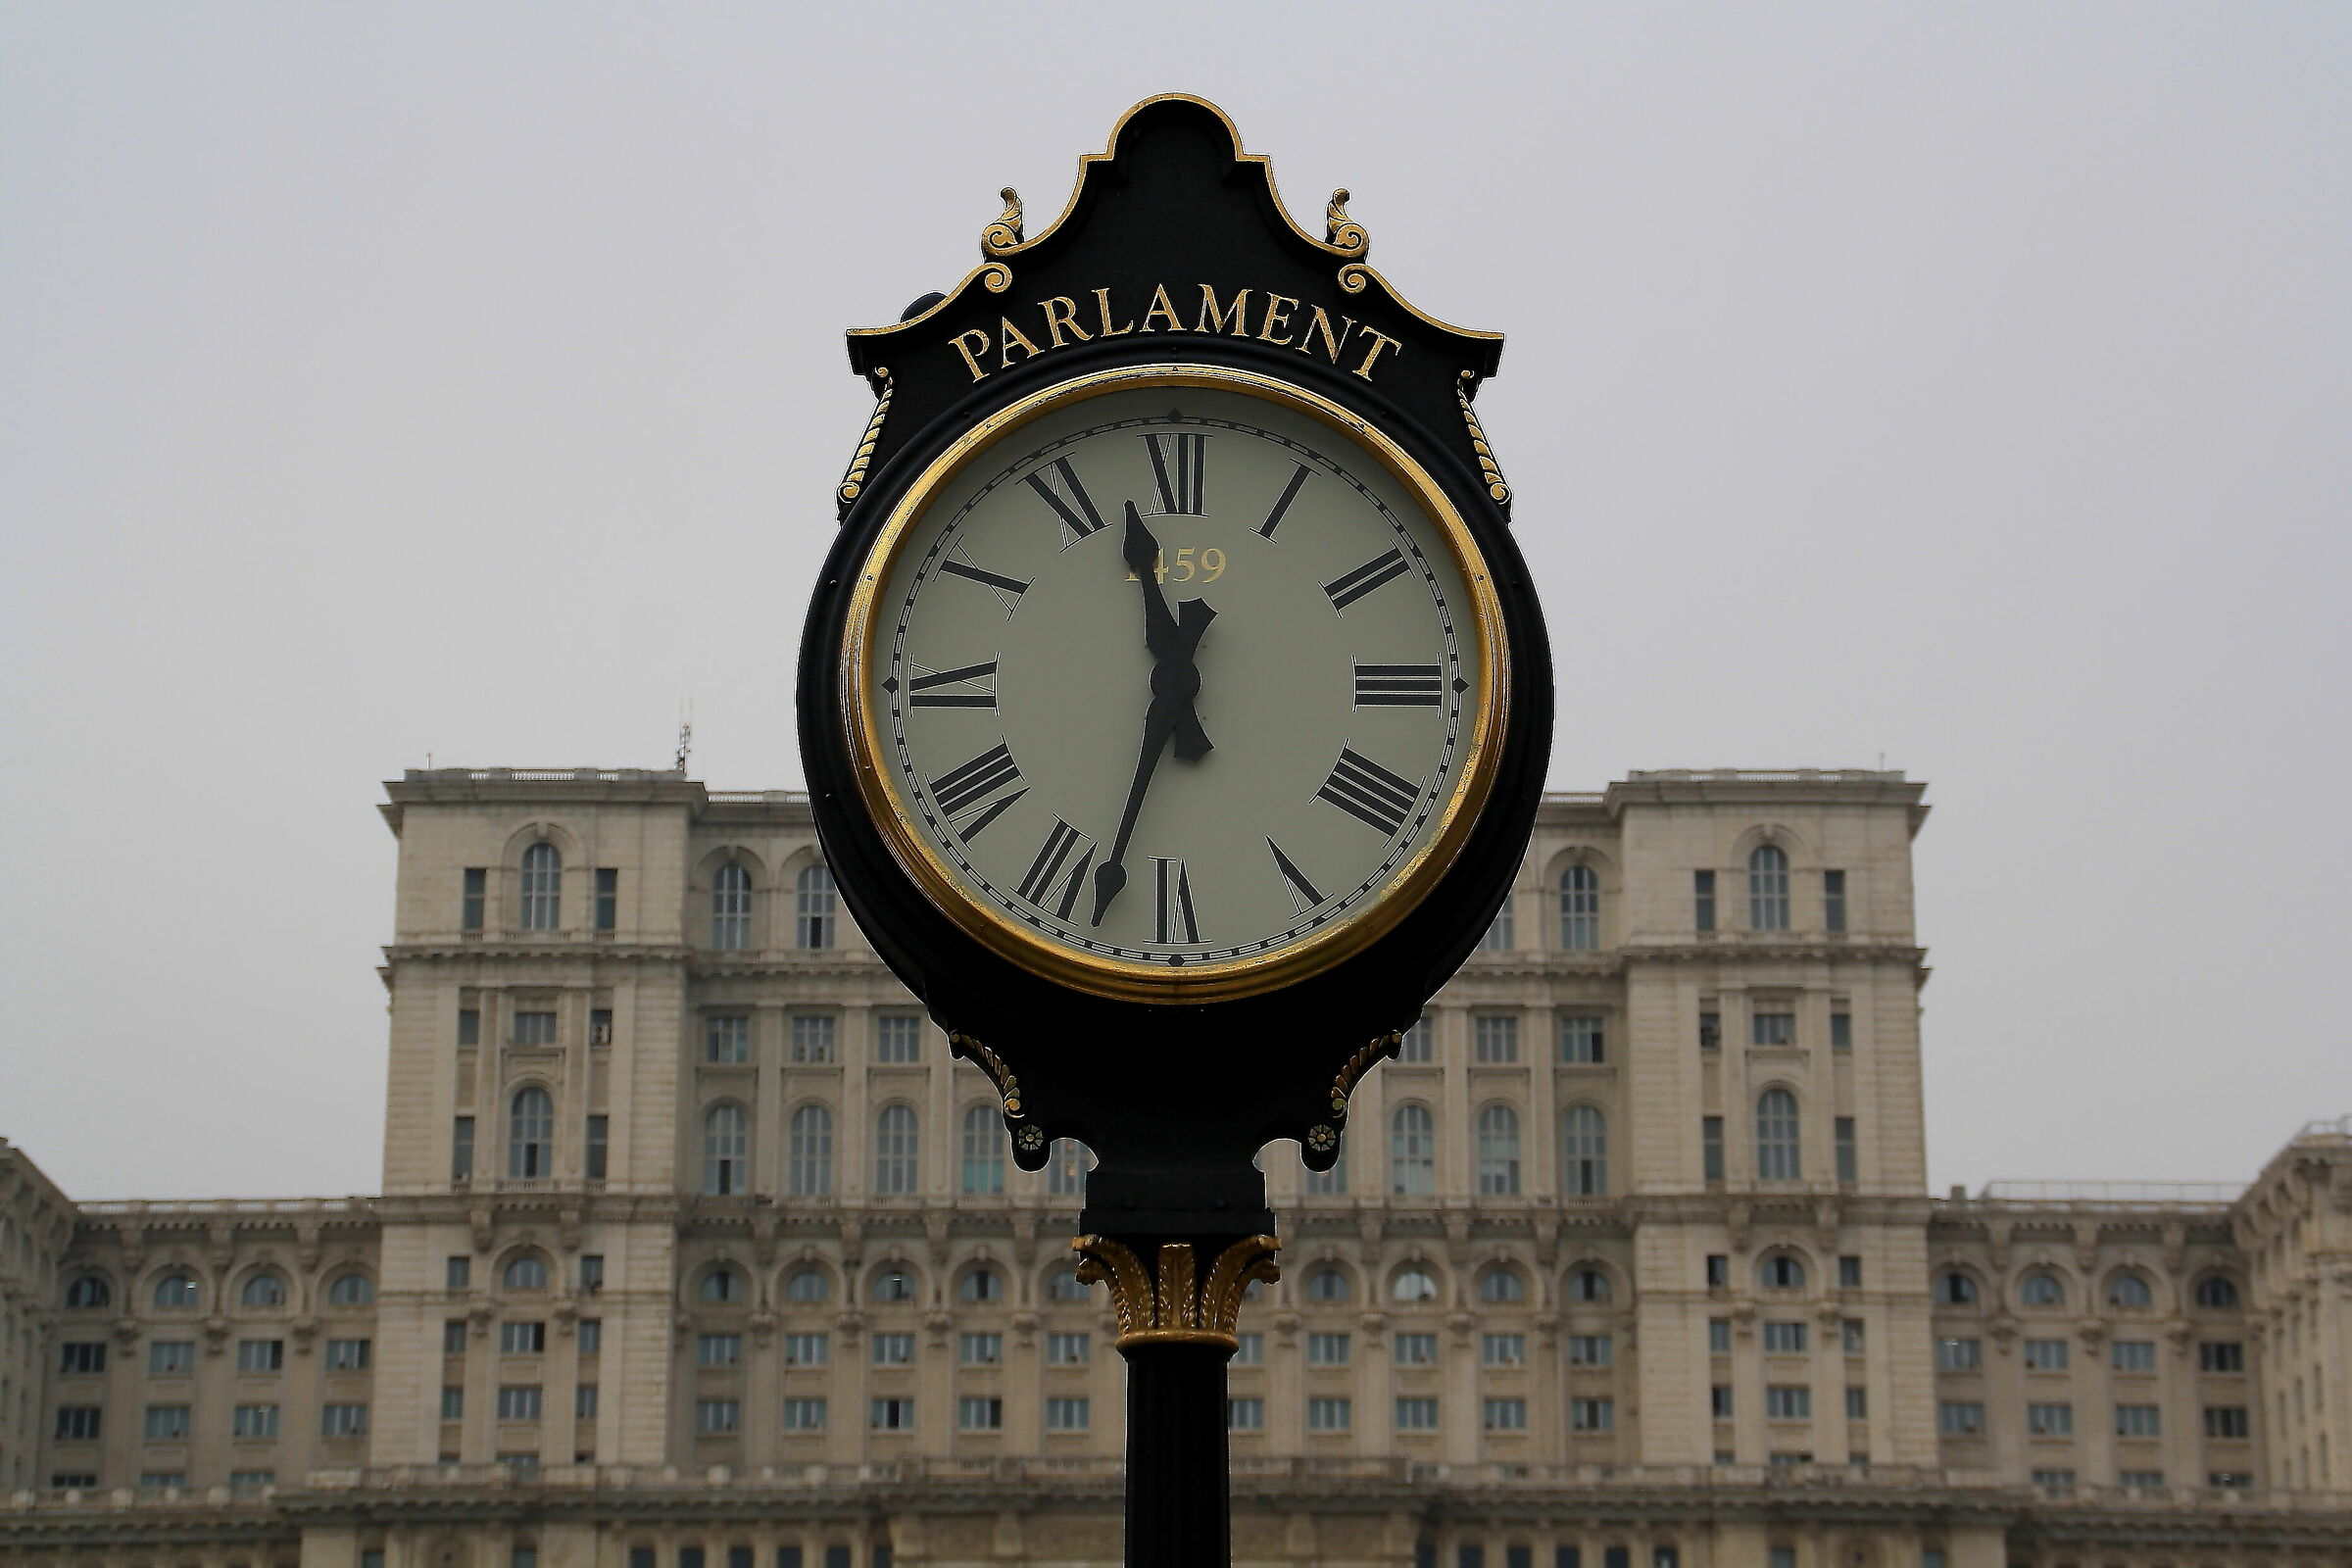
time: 11:33
